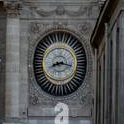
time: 8:16
